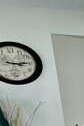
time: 2:46
